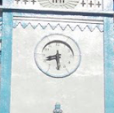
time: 8:29
